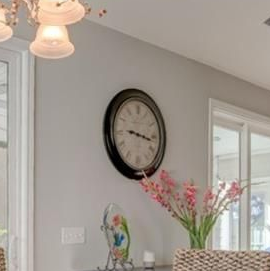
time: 9:16
